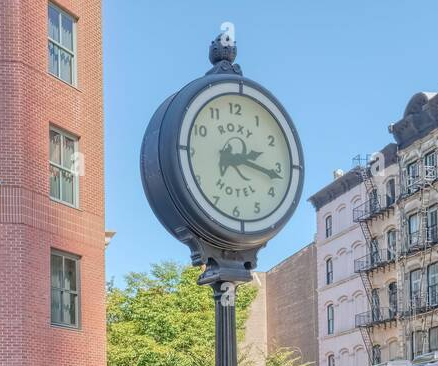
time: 2:16
